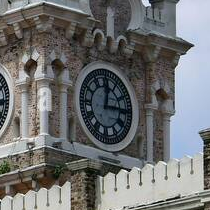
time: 12:14
